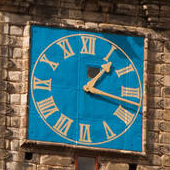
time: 1:17
